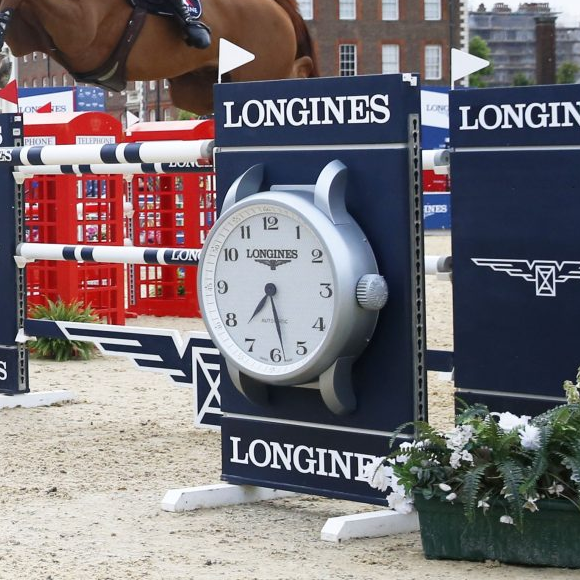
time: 7:28
